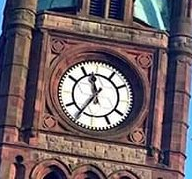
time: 11:35
